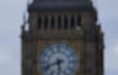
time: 5:41
